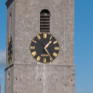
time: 1:24
